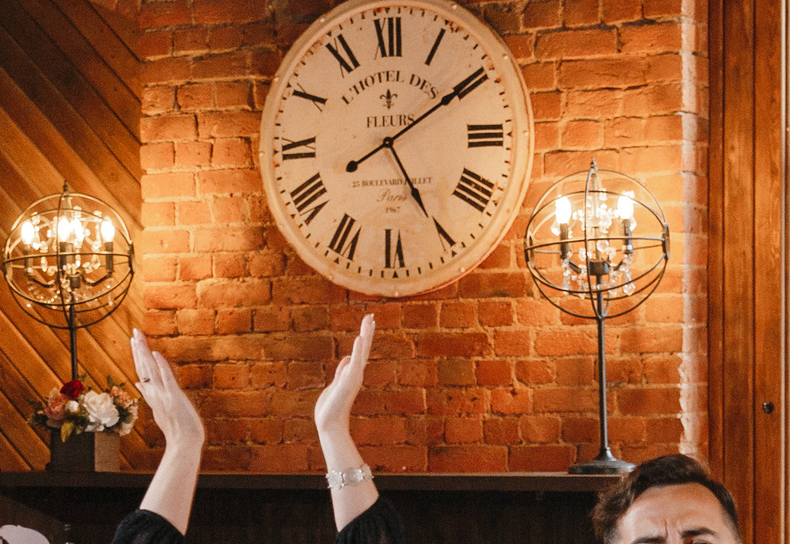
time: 5:09
